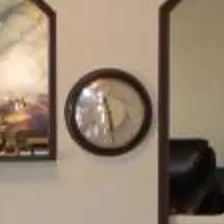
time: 11:28
